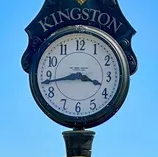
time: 3:43
